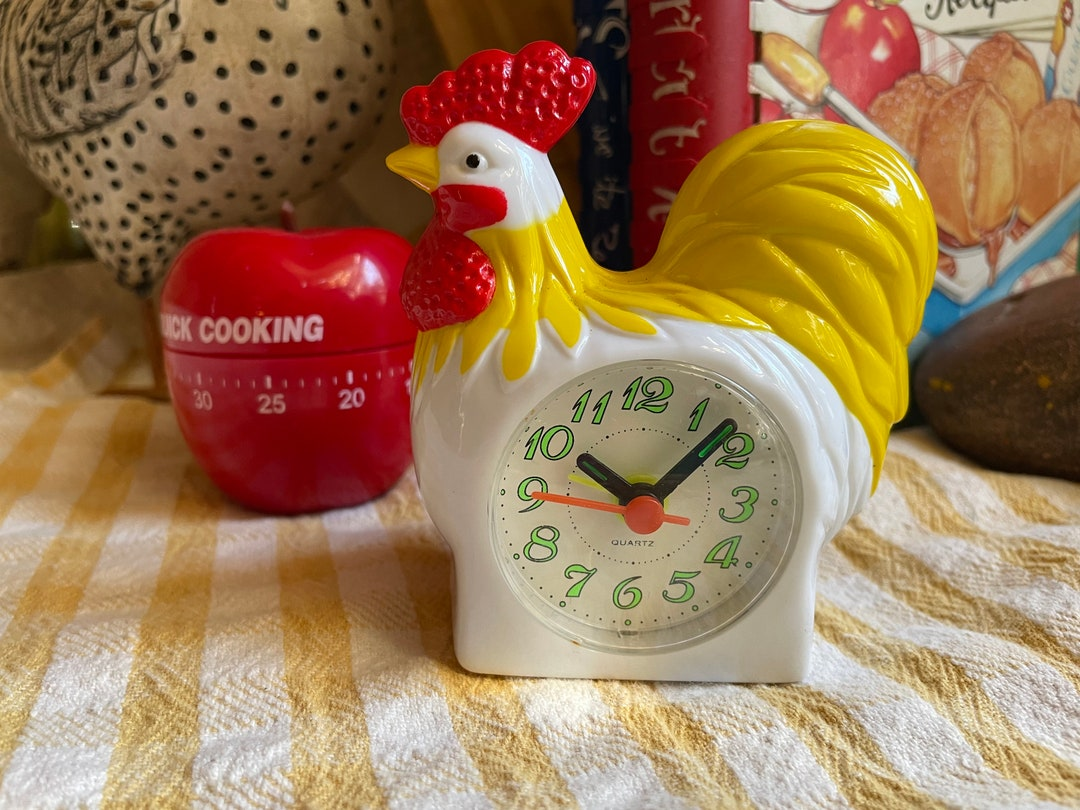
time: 10:07
